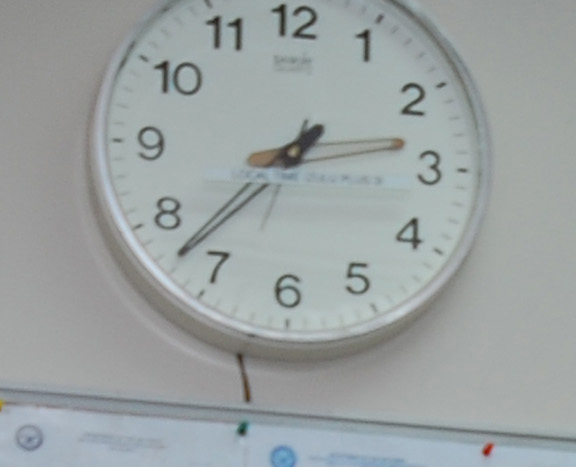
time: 2:37
